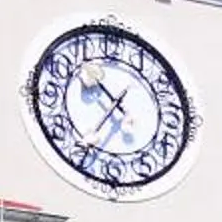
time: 10:35
